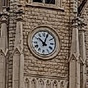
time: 10:03
